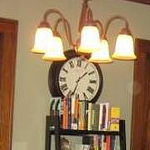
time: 1:33
